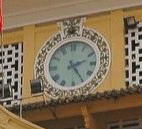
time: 2:24
